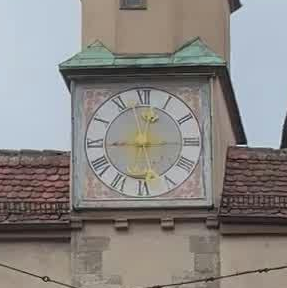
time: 9:01
